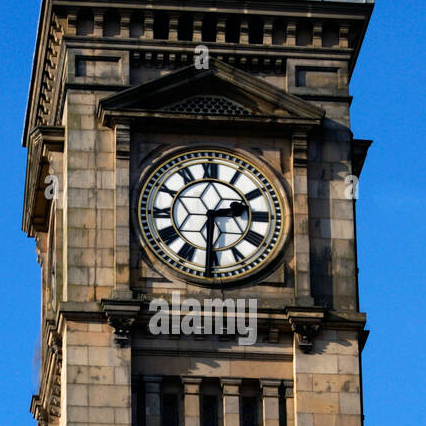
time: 2:30
